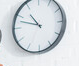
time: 10:47
